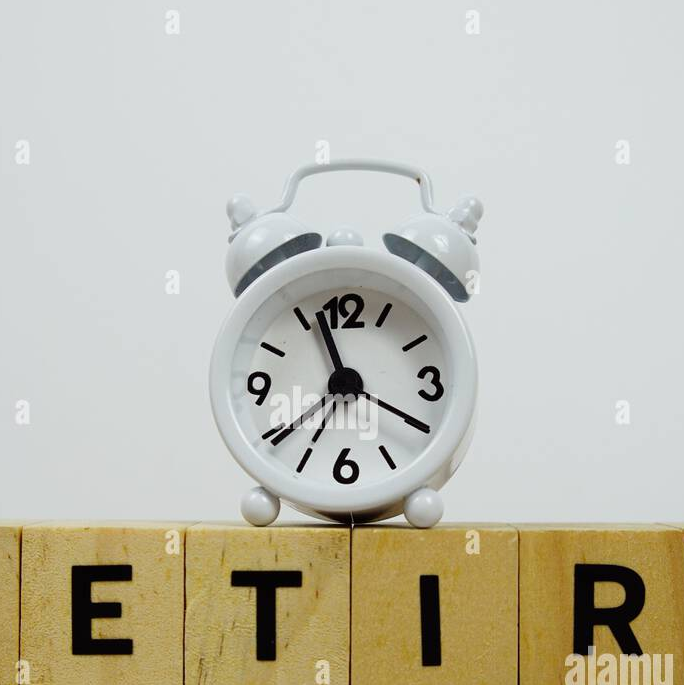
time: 11:19
